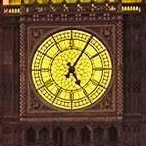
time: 5:05
